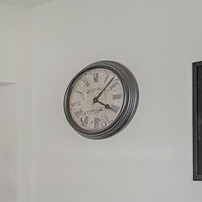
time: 4:07
